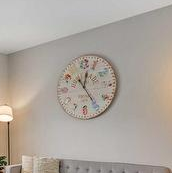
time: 12:24
